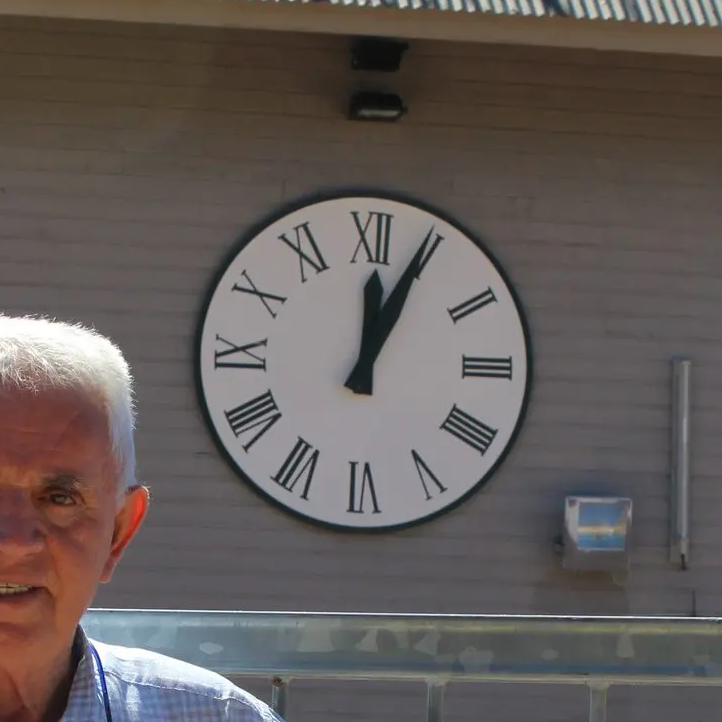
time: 12:04
